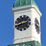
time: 2:40
